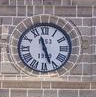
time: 11:26
